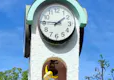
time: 1:46
